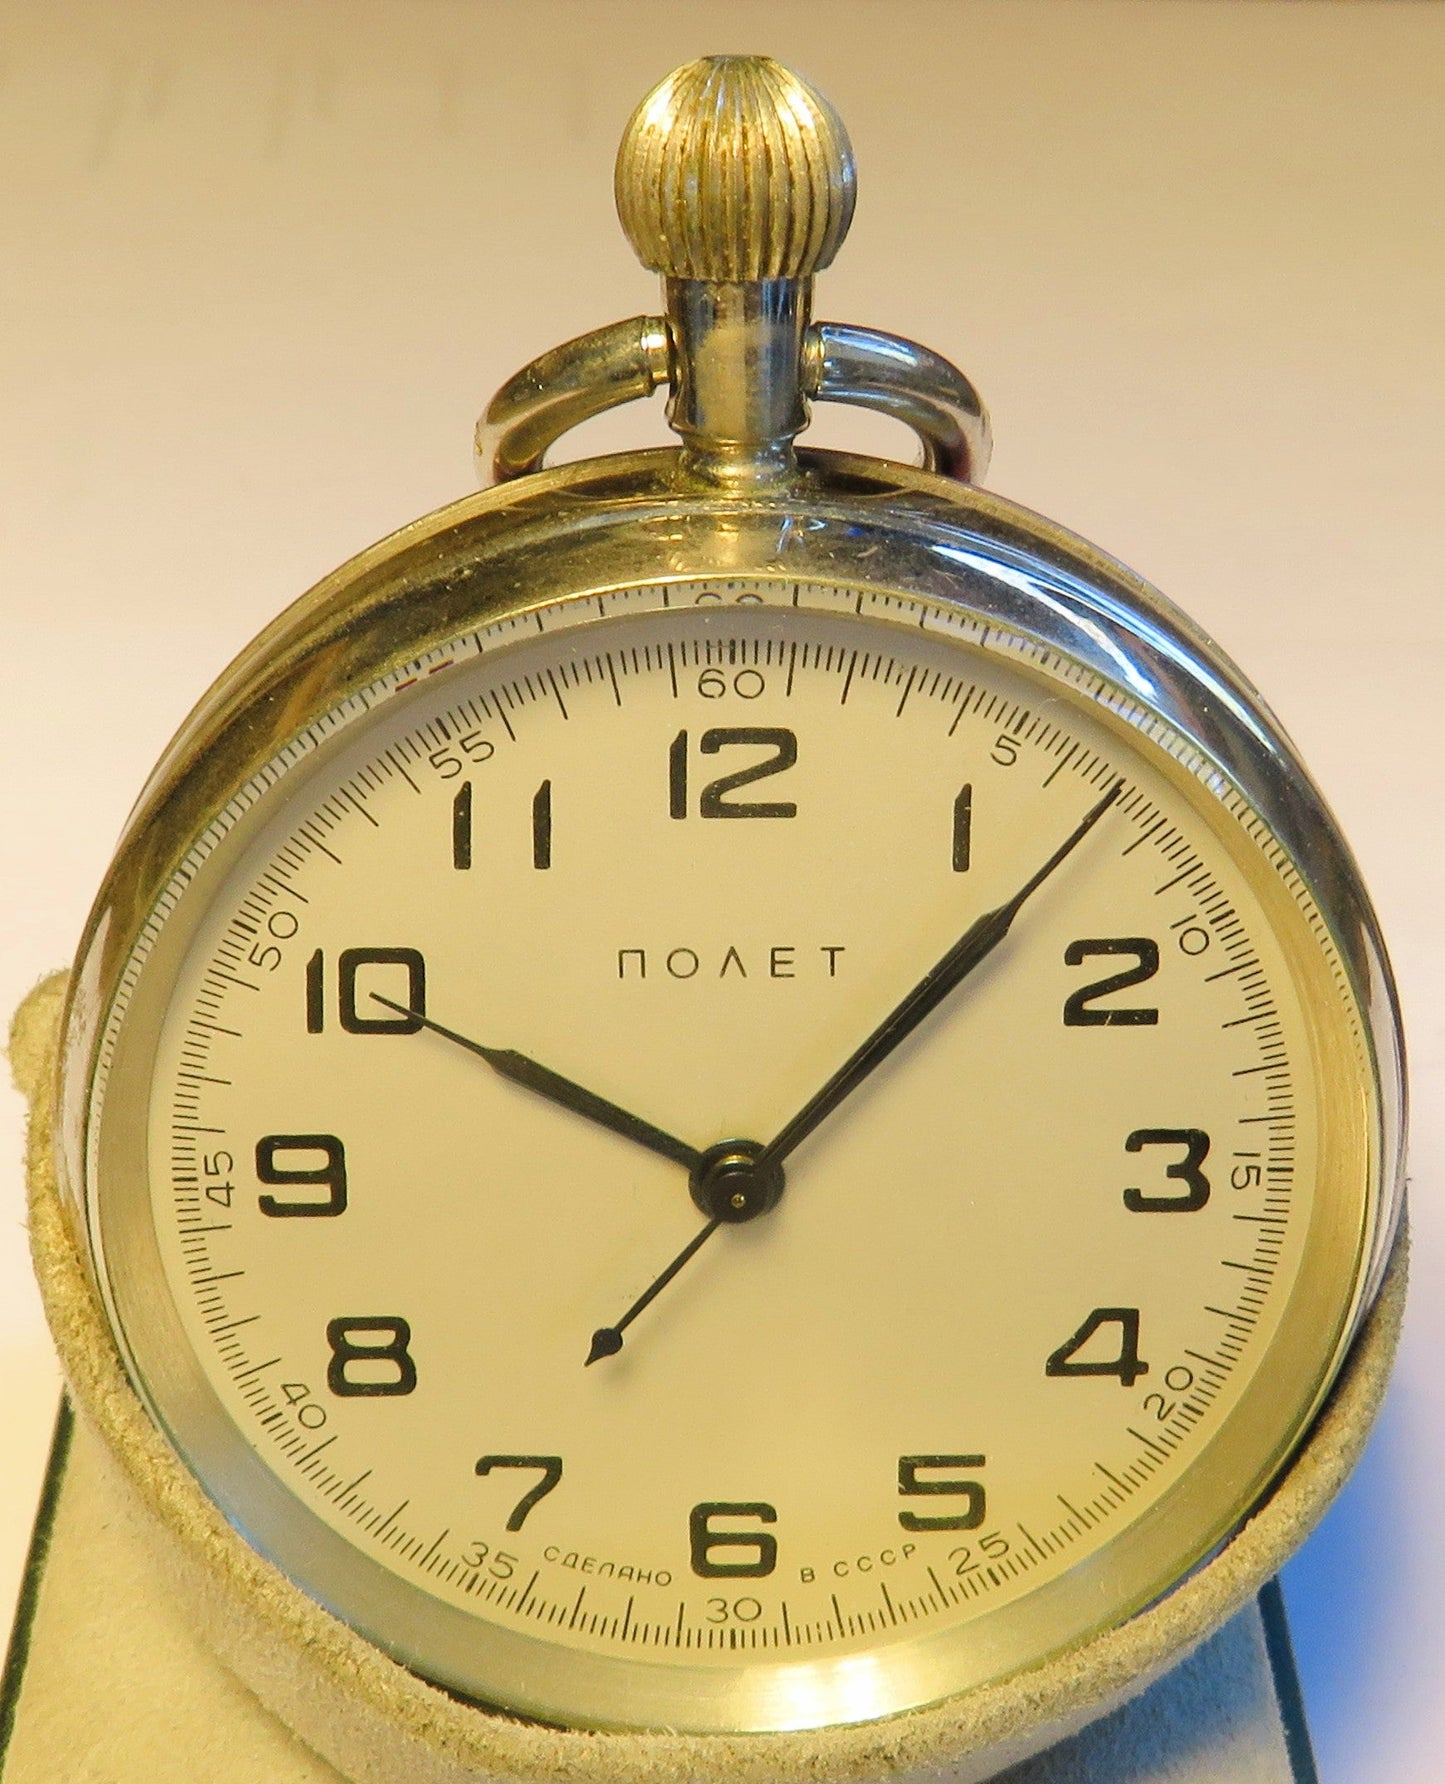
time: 10:07
